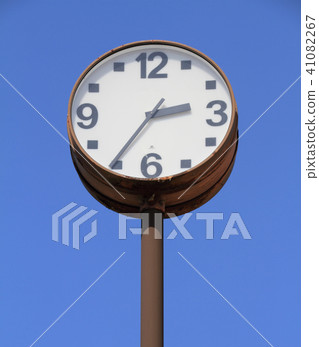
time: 2:35
